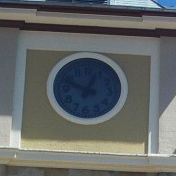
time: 12:49
